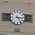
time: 3:24
